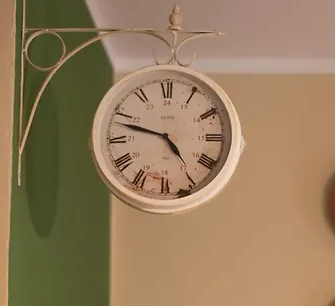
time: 4:47
